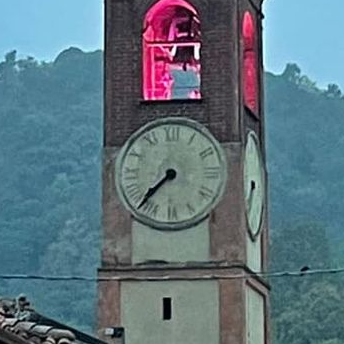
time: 7:37
